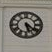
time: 5:21
